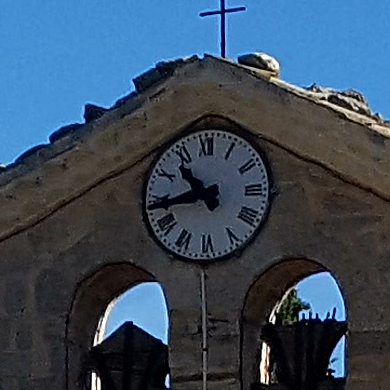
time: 10:43
